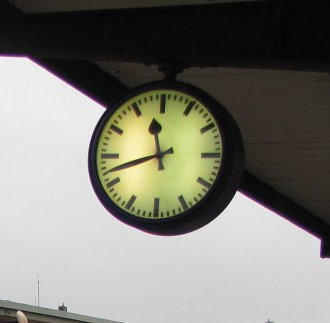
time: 11:42
